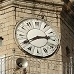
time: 2:40
